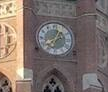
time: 12:37
